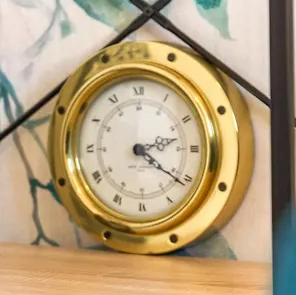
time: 2:21
